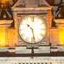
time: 10:28
